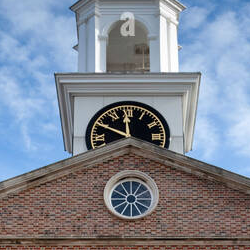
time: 11:49
